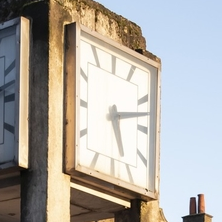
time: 5:12
